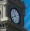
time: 10:40
